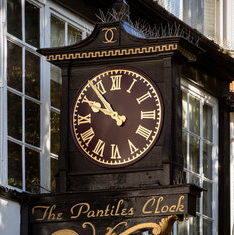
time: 9:53
